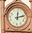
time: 12:12
